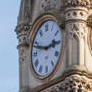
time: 2:48
